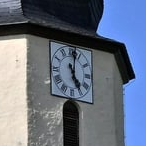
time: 5:01
